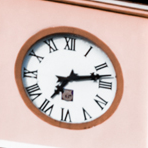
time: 7:12
